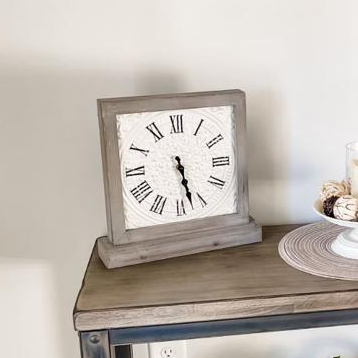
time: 5:27
